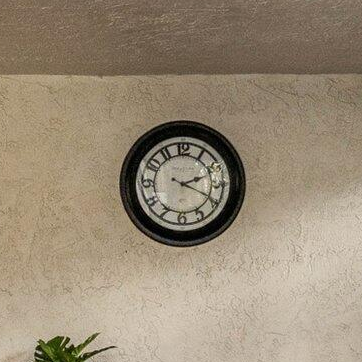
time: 2:18
